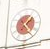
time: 1:23
